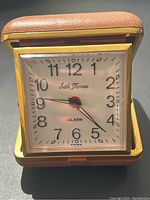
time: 9:22
